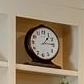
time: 1:14
